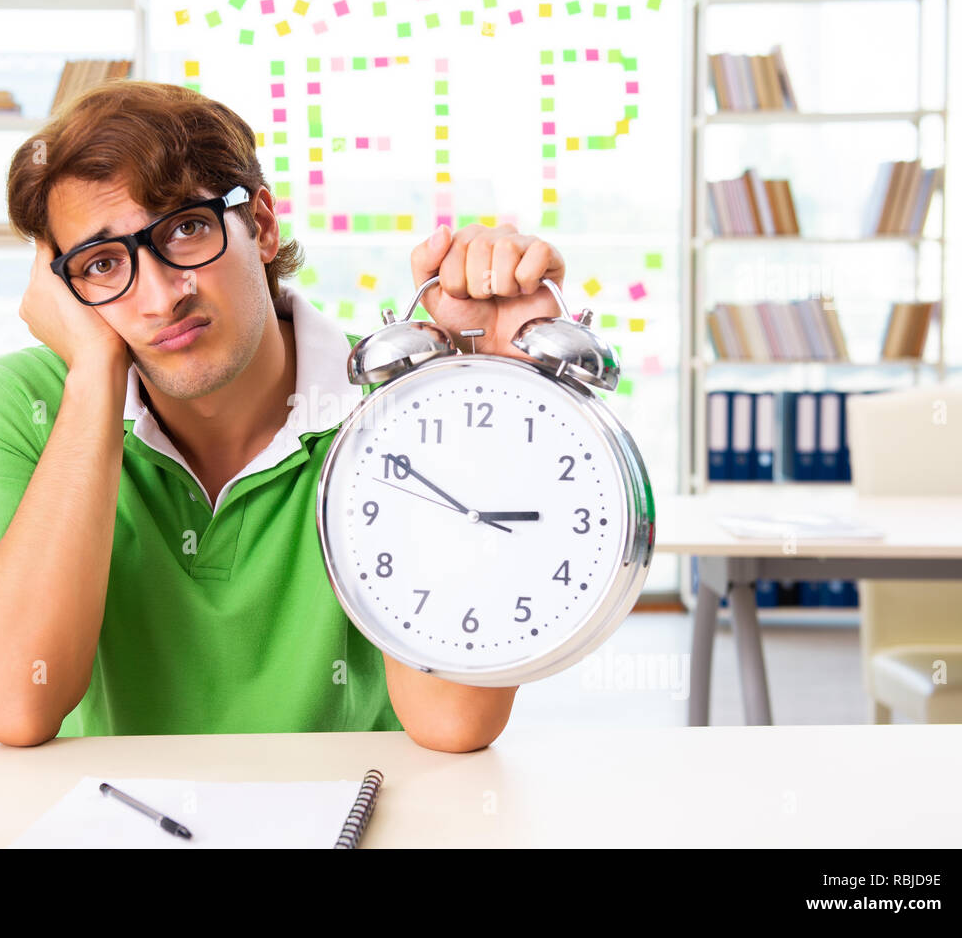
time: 2:50
